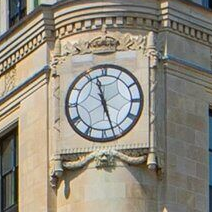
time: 11:26
